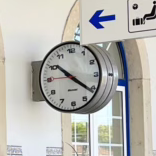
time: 10:21
